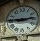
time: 9:13
